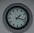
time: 1:17
